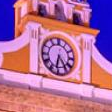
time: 6:23
